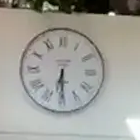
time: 6:29
